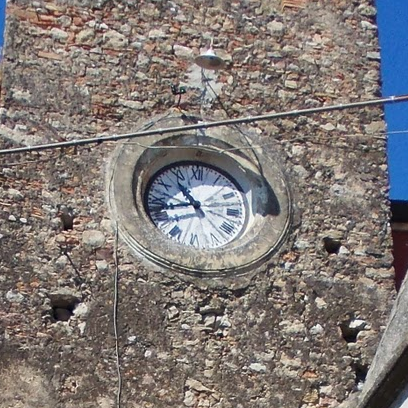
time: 10:42
